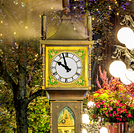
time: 9:57
